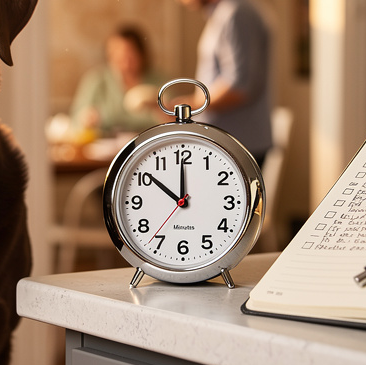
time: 11:51
